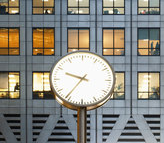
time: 9:36
